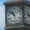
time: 10:51
